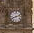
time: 8:12
